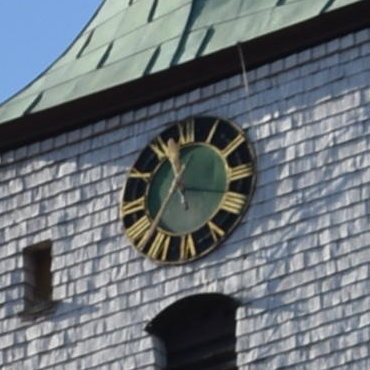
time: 11:17
